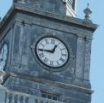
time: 12:44
